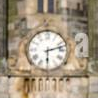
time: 6:12
